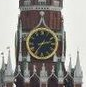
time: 2:36
